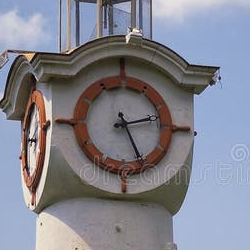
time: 2:25
